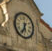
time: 5:34
